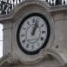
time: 1:02
